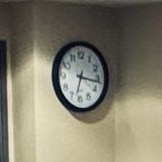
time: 6:16
